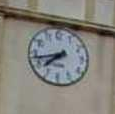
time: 7:43
